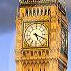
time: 5:18
